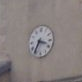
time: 3:35
